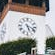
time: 5:18
